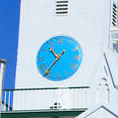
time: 10:36
